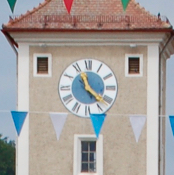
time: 11:21
